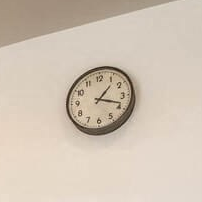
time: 1:18
